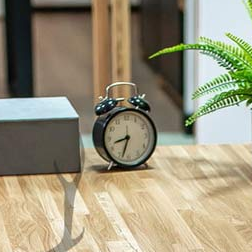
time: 8:33
